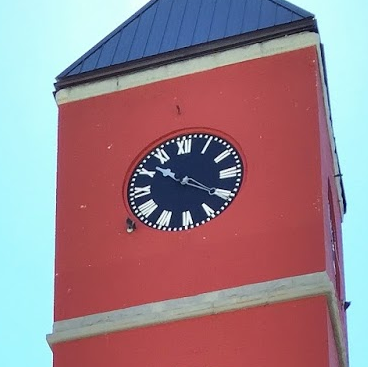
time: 10:20
